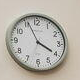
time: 3:56
